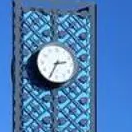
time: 2:34
